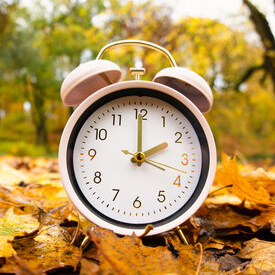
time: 2:00
